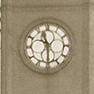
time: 11:29
